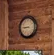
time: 8:45
